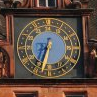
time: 6:32
